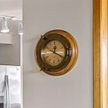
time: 12:19
